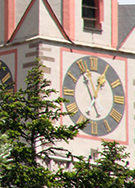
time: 12:55
